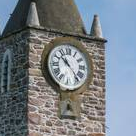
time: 10:23
